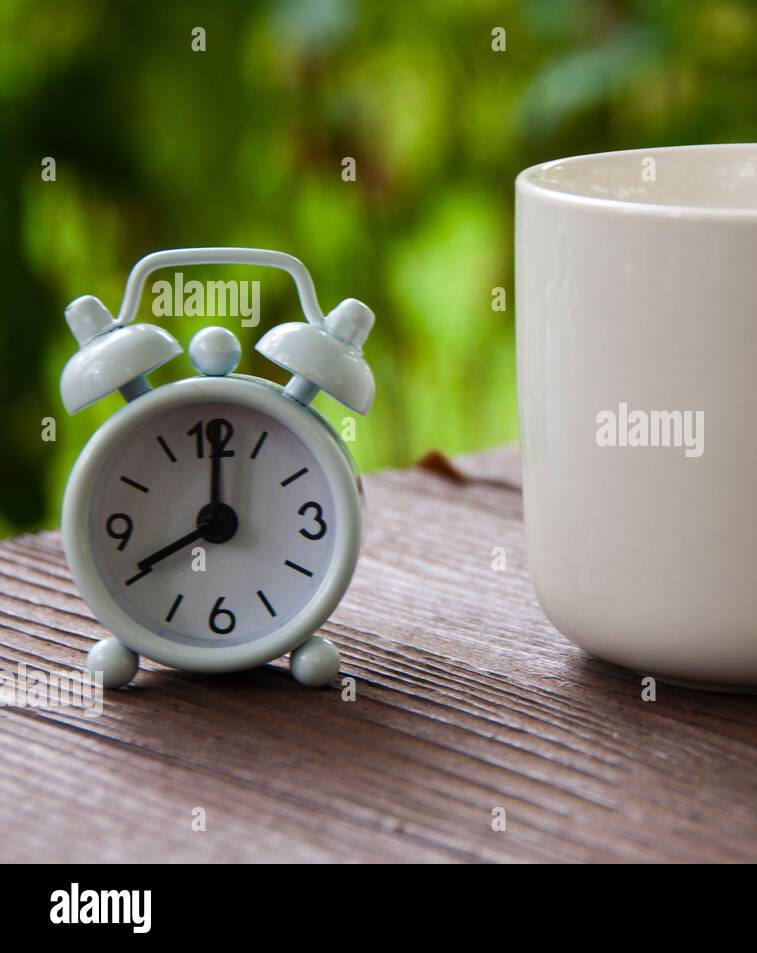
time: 8:00
